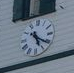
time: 5:20
